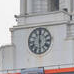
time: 5:59
